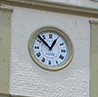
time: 12:52
